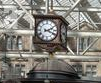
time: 2:18
